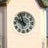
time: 9:57
